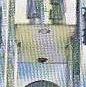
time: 12:14
